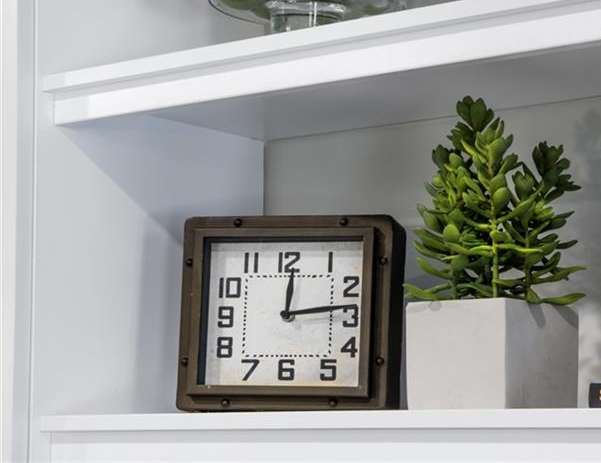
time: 12:13
